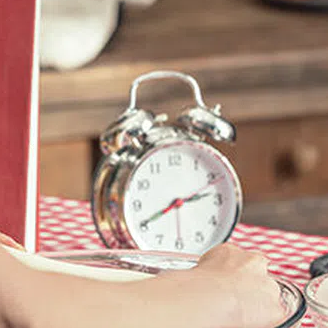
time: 2:40
